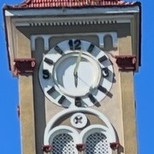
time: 6:03
